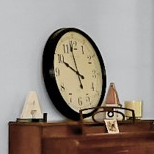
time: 9:57
